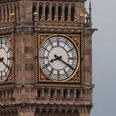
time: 8:20
